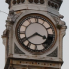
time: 3:39
